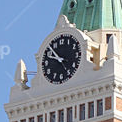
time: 9:52
